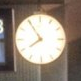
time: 7:54
